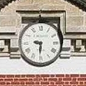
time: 9:30
